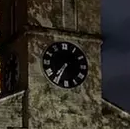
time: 7:34
